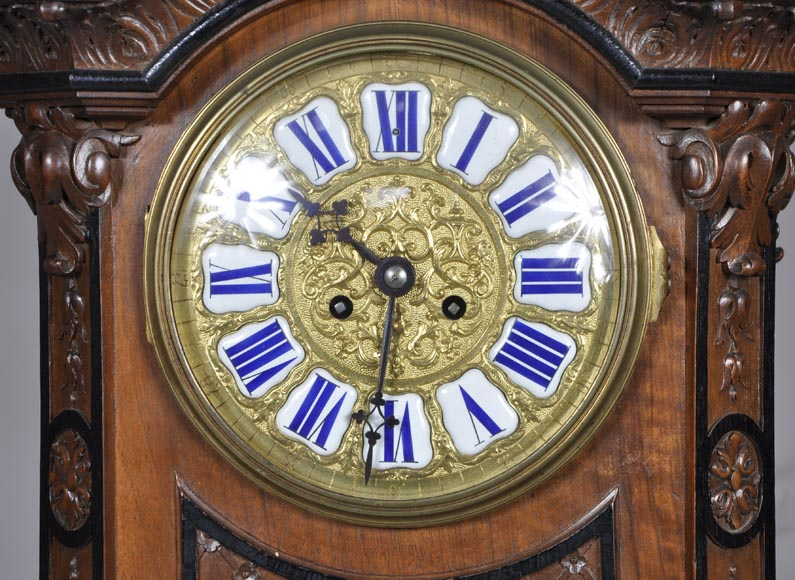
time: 10:31
